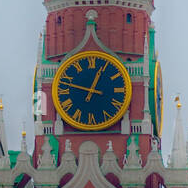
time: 12:47
